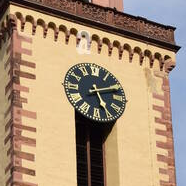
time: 5:11
